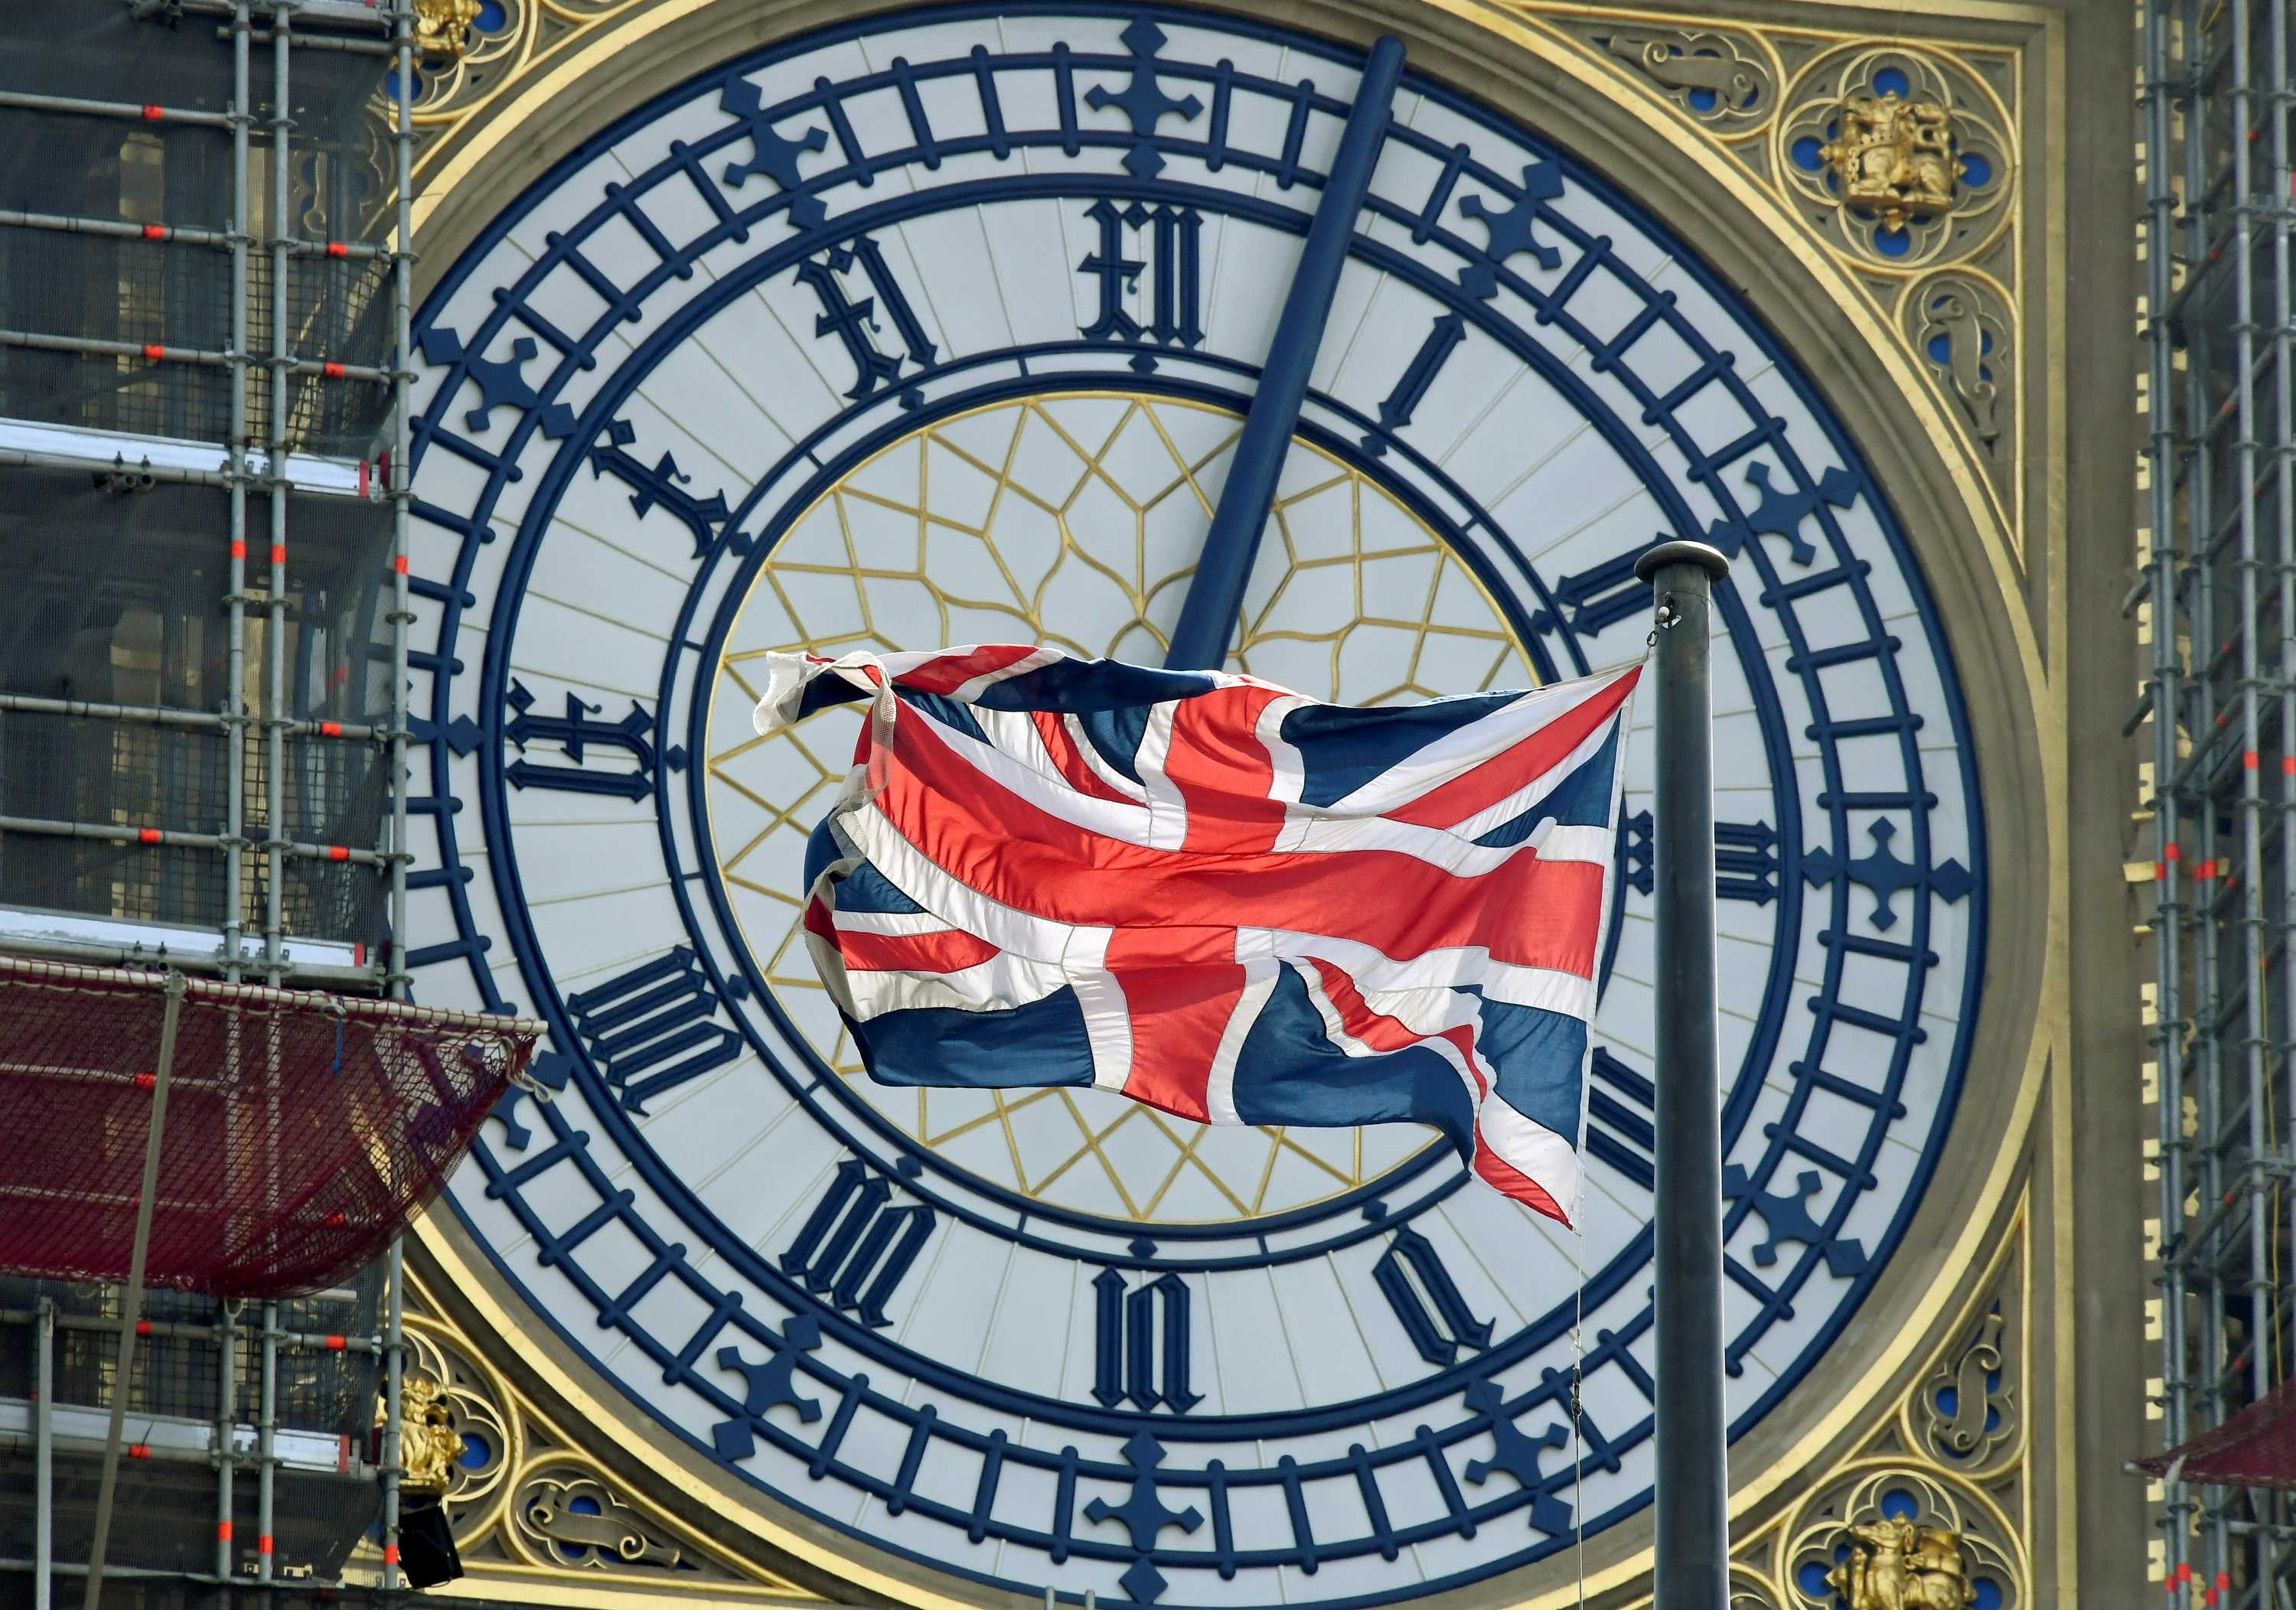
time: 9:02
